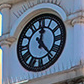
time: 12:22
